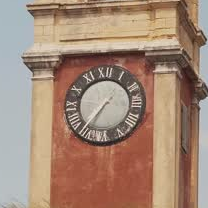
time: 7:36
